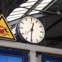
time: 12:30
